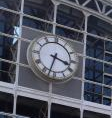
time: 3:32
